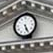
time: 5:25
